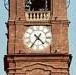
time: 4:35
